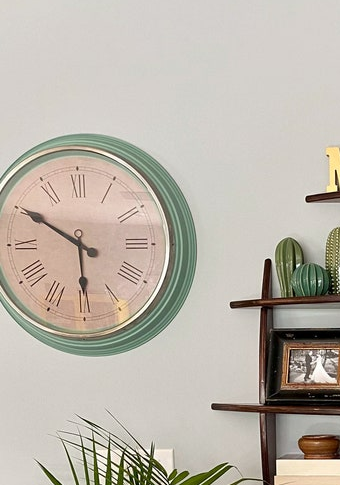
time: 5:50
